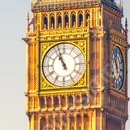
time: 10:56
